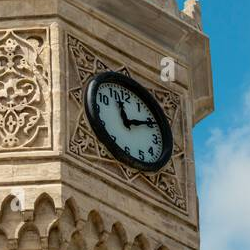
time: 11:10
